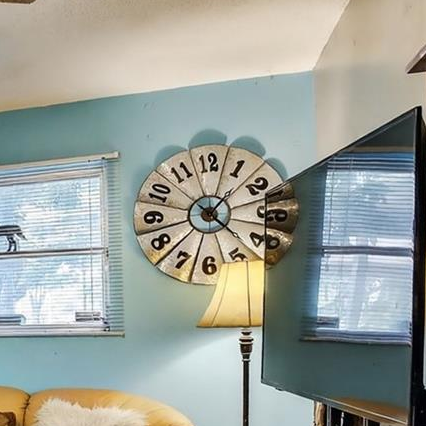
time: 1:22
